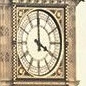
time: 4:00
